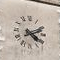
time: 4:11
